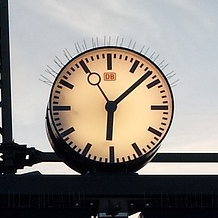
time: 6:08
